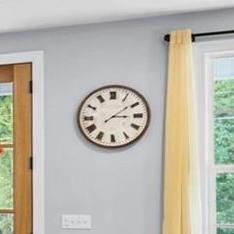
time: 3:09
